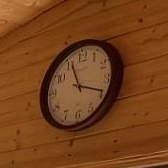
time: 11:18
